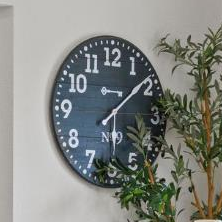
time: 6:08
